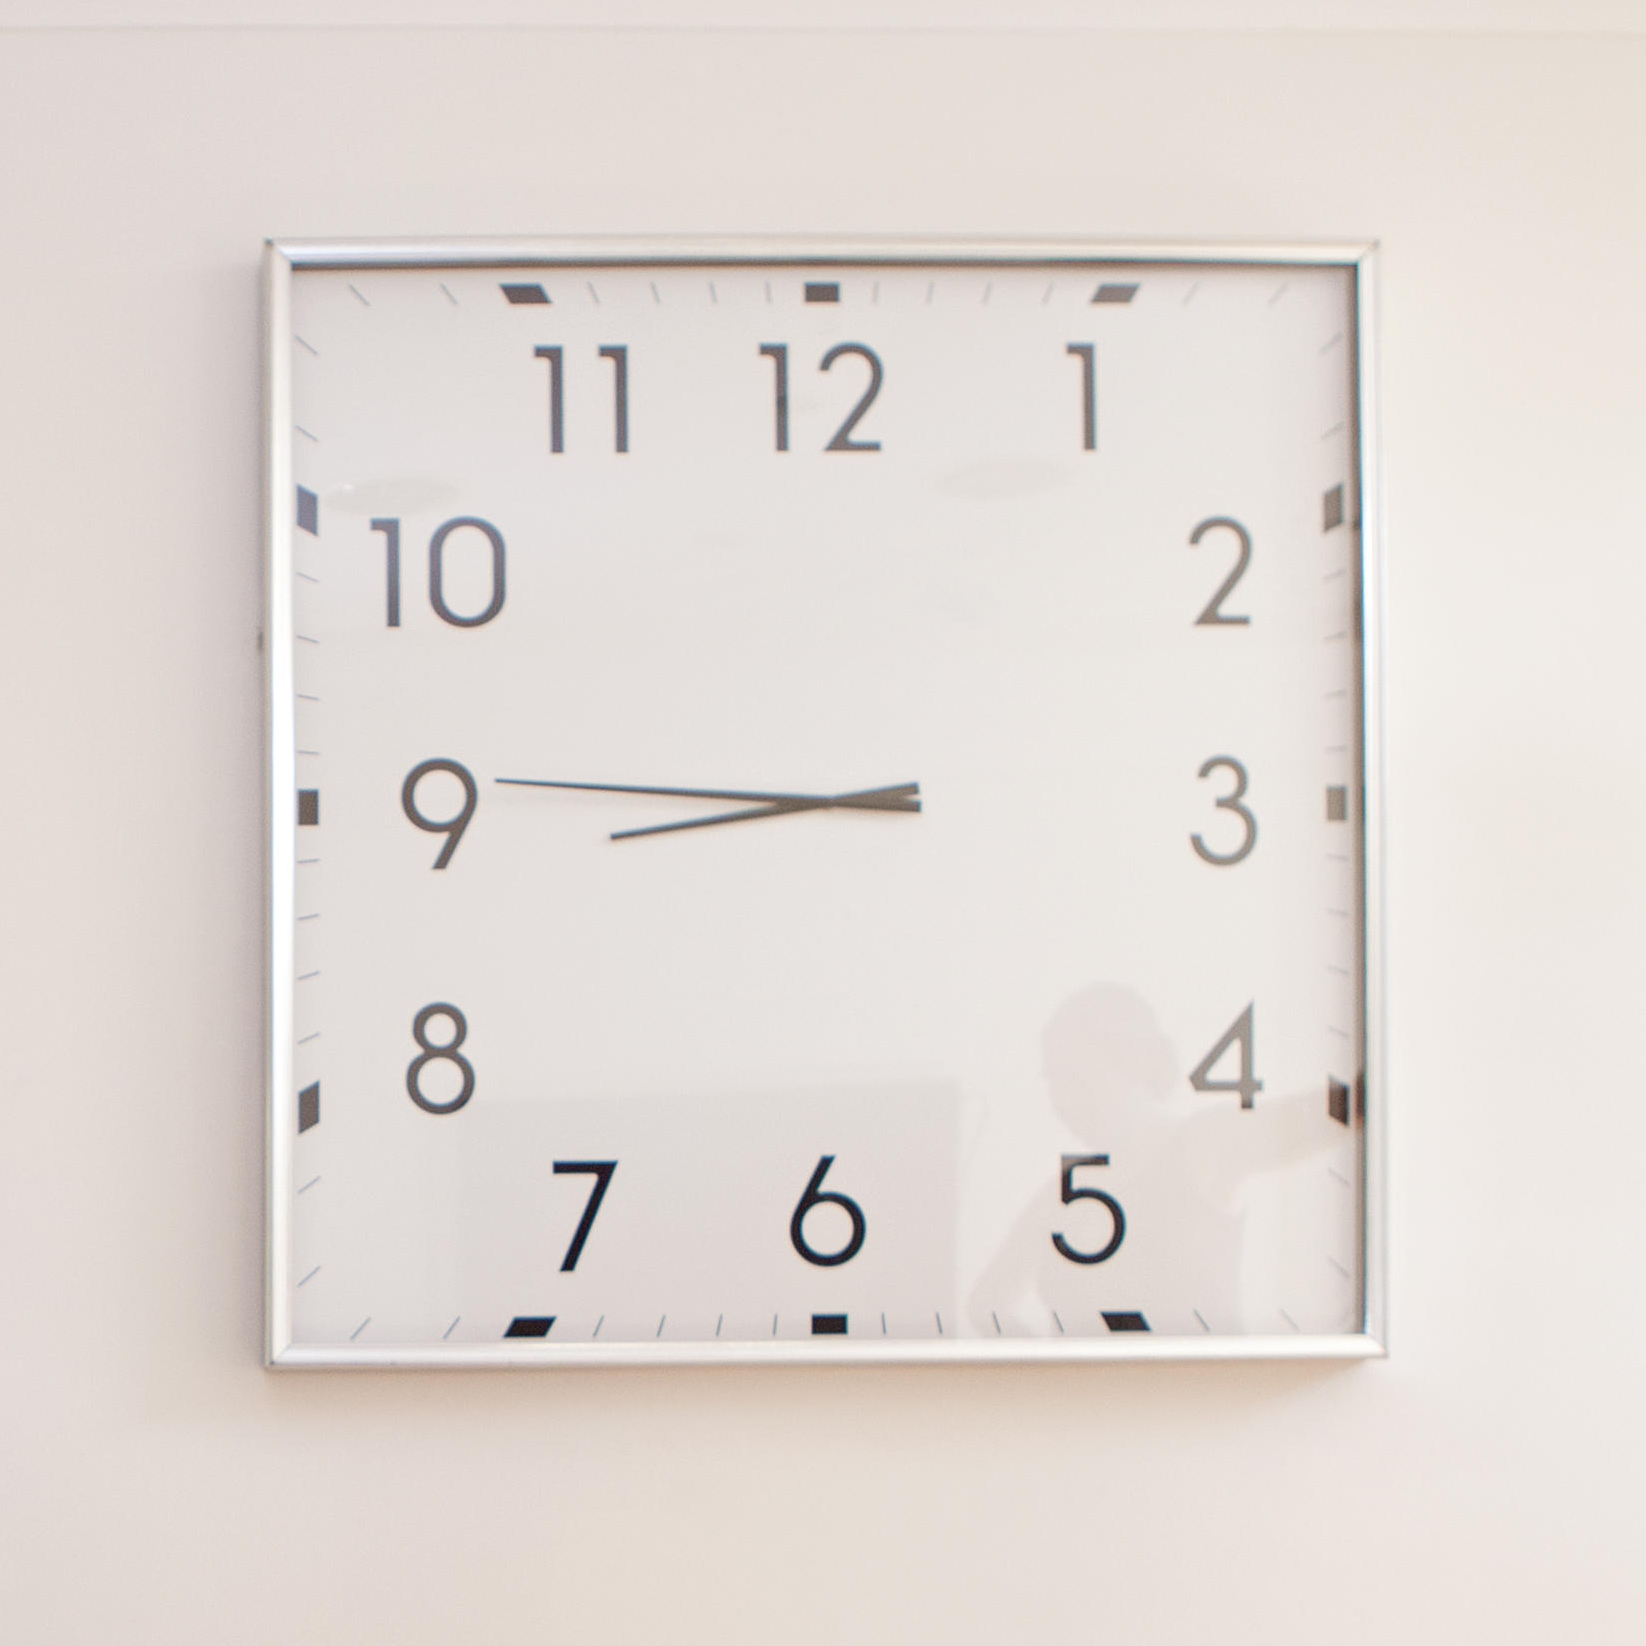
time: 8:45
